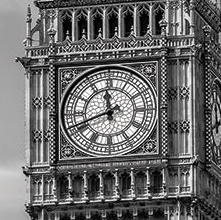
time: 11:41
